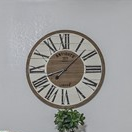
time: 8:07
